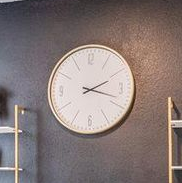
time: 2:18
